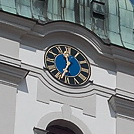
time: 11:34
